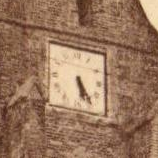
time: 5:24
